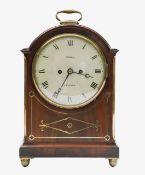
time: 3:34
